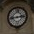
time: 2:42
